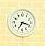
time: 3:34
